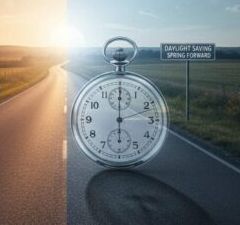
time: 6:00
